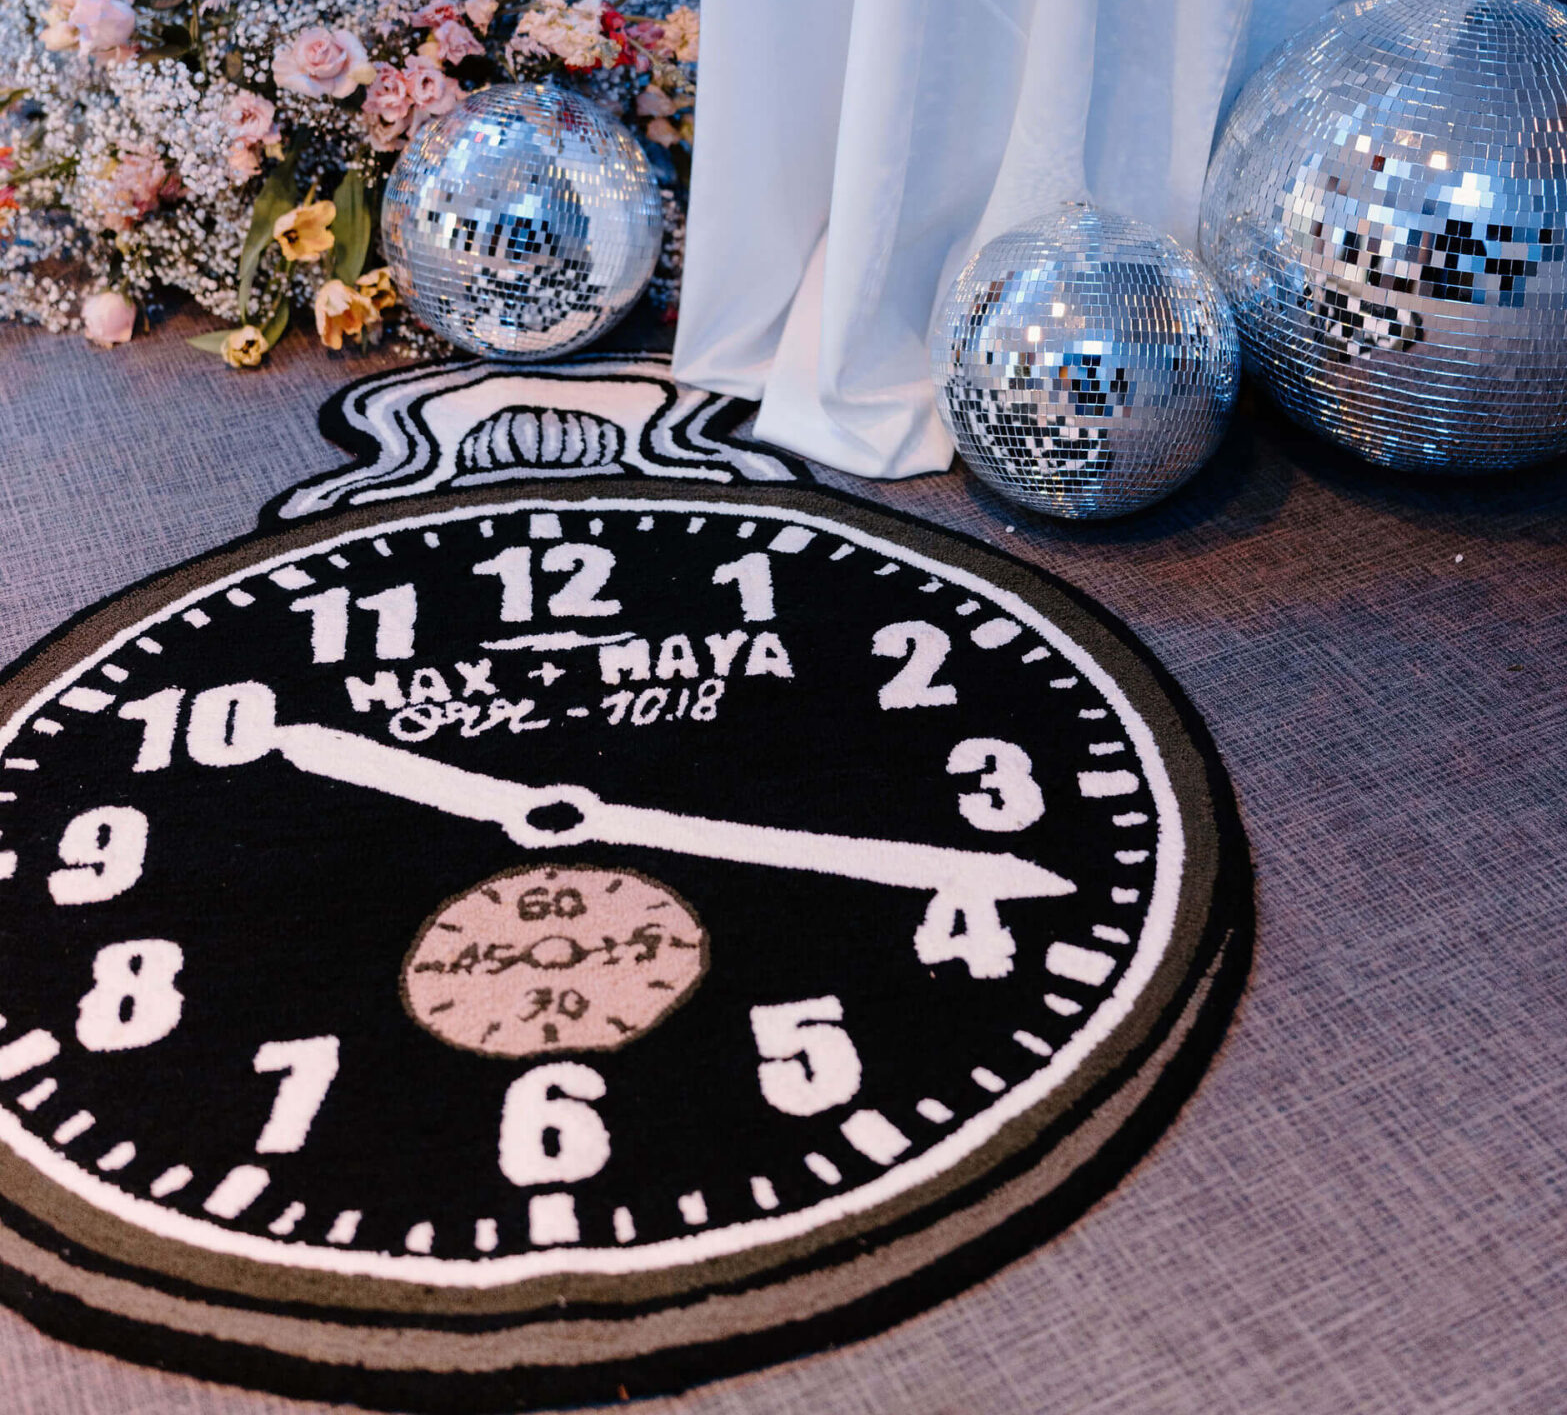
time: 10:18
